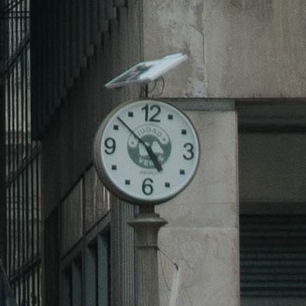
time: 4:52
